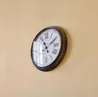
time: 11:09
